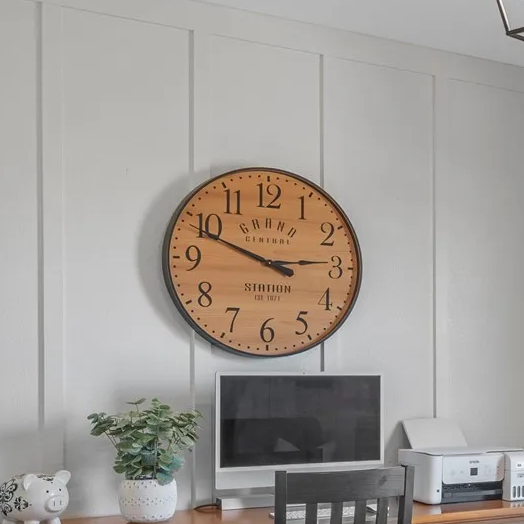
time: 2:48
